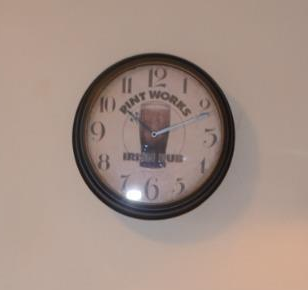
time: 5:51
